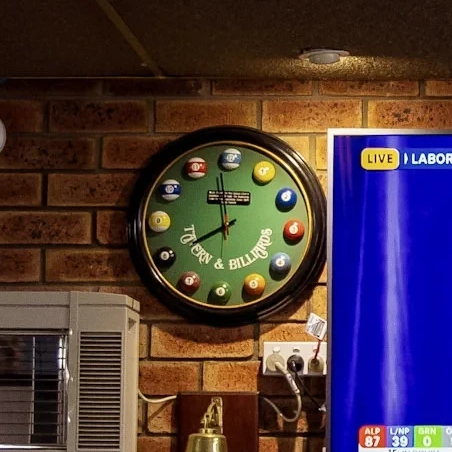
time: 7:58
